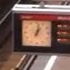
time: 1:02
